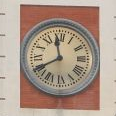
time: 11:40
